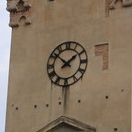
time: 1:51
